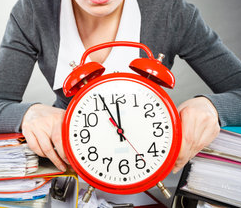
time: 11:55
